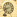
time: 8:11
